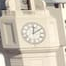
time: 2:01
